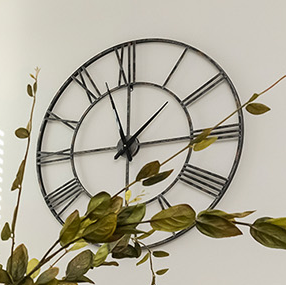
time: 1:14
